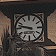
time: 9:47
